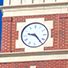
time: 9:23
